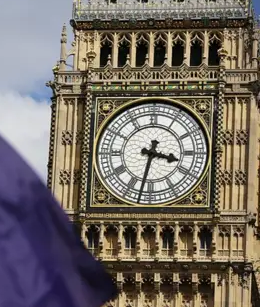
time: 3:32
